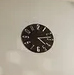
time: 4:12
